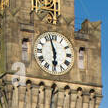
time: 5:57
